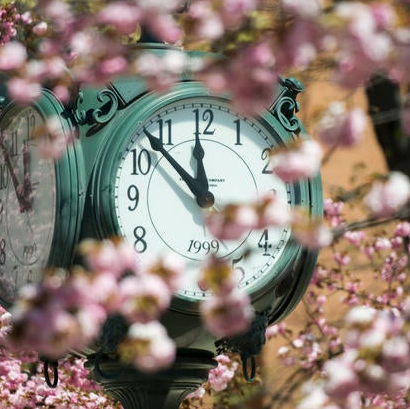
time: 11:52
